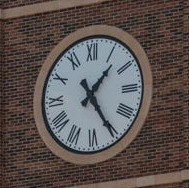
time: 1:24
